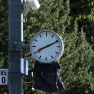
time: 8:11
